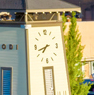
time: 7:42
